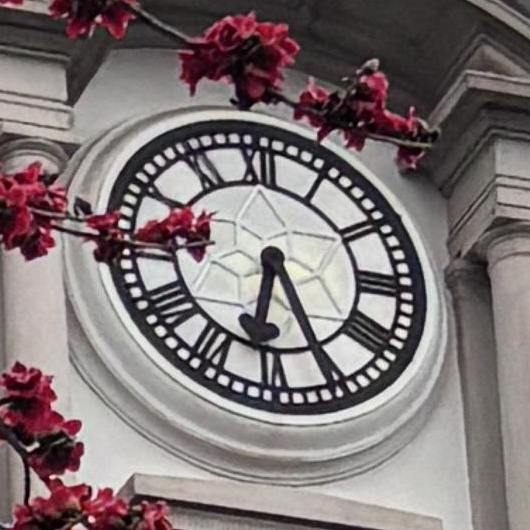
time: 6:25
